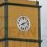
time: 8:11
